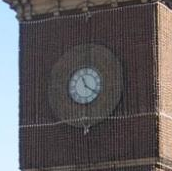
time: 11:19
